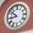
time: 8:52
